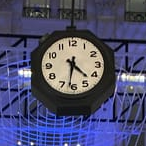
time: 4:31
